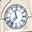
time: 11:36
